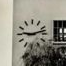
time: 9:12
